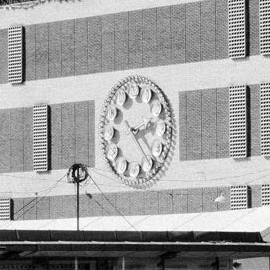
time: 2:23
